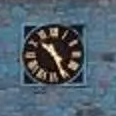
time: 10:26
